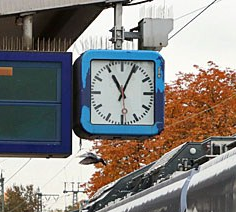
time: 11:04
